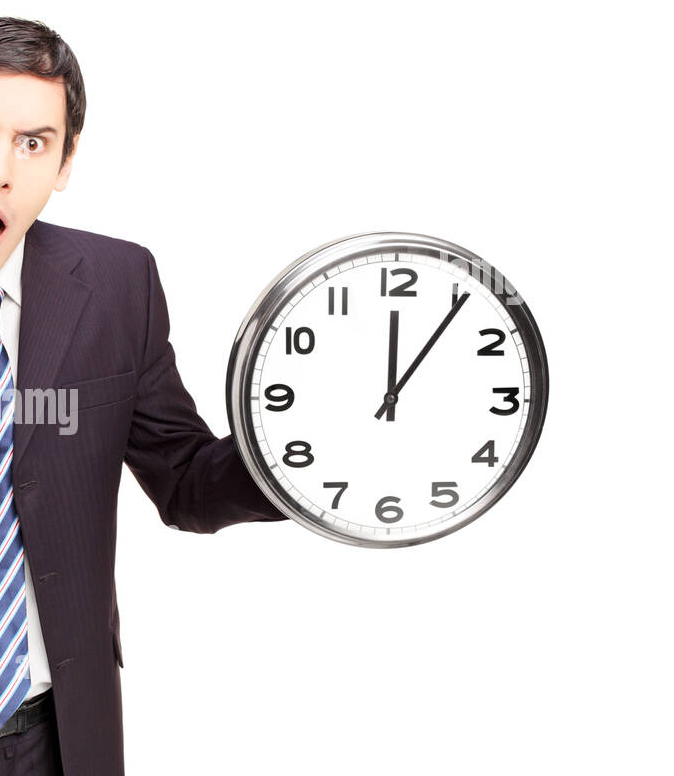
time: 12:05
